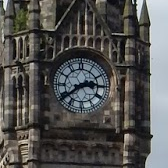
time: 2:39
